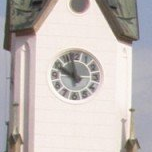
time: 9:57
